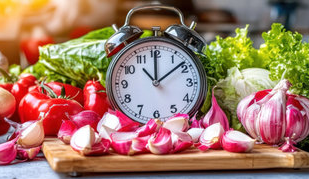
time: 12:08
